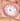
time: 4:02
